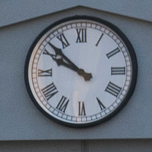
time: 9:51
